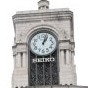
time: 1:02
